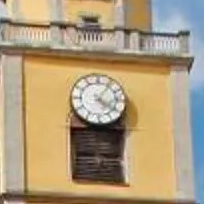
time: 4:05
